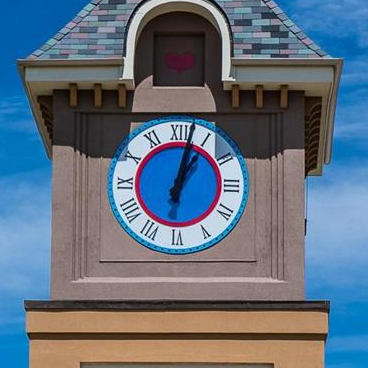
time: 1:02
